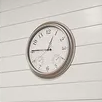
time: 12:45
